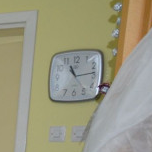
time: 11:13
